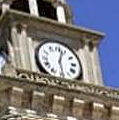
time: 12:28
